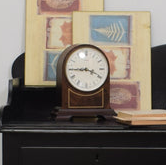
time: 3:44
